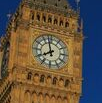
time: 7:57
